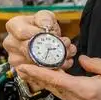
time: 2:33
